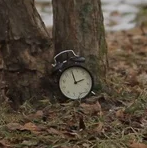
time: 1:56
